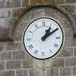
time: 1:09
